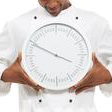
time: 3:49
